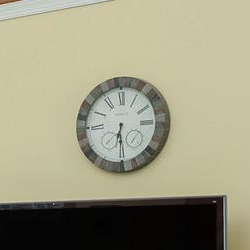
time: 6:28
